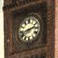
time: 2:42
